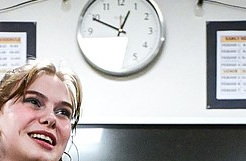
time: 12:48
